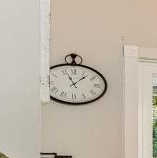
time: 11:07
